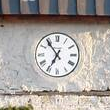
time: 6:53
